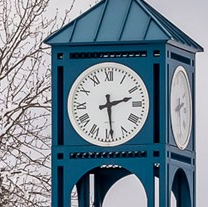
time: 2:29
